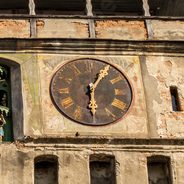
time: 6:05
